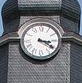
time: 3:20
